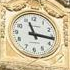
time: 11:16
